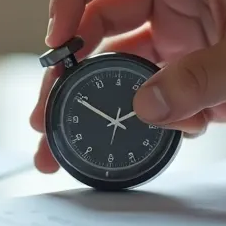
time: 1:49
